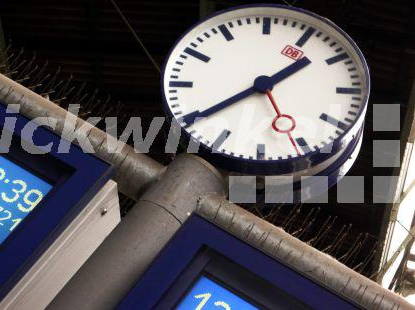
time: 1:39
